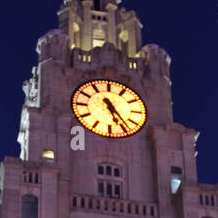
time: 5:23
